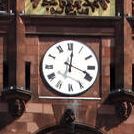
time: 12:18
